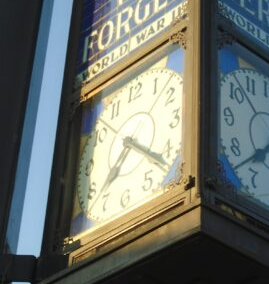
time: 7:21
